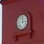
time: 12:14
